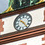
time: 10:24
